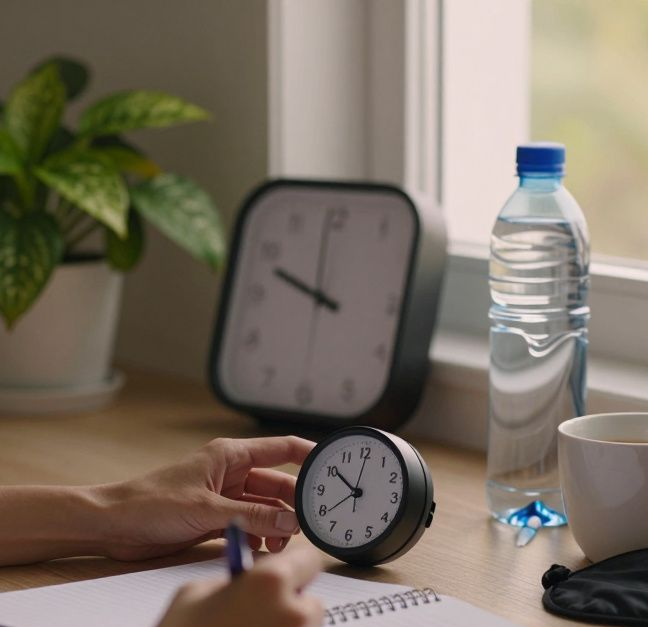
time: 9:48
